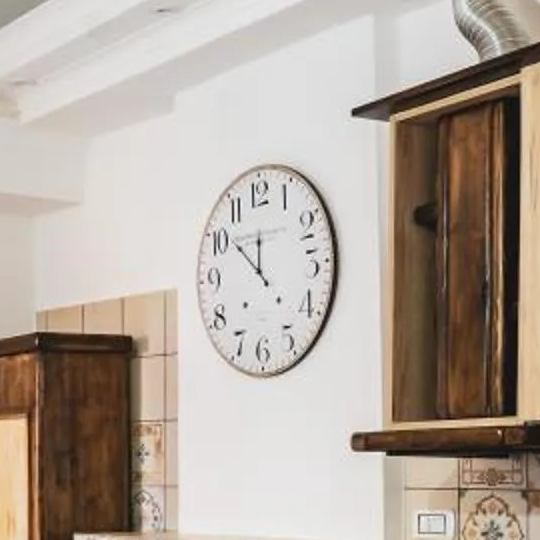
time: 11:51
